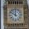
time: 11:51
